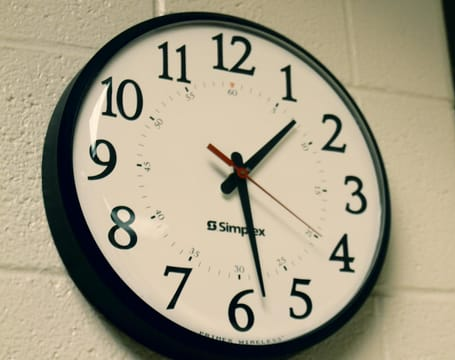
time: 1:28
